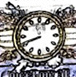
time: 8:41
